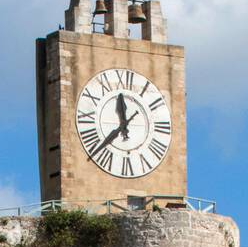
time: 11:37
